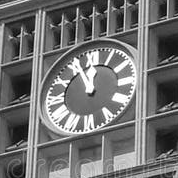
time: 11:55
